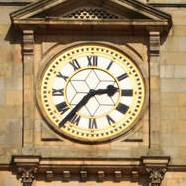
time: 2:36
